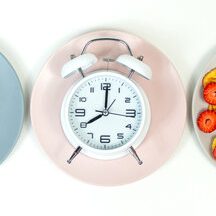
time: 8:00
